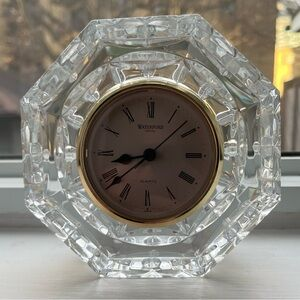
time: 8:38
